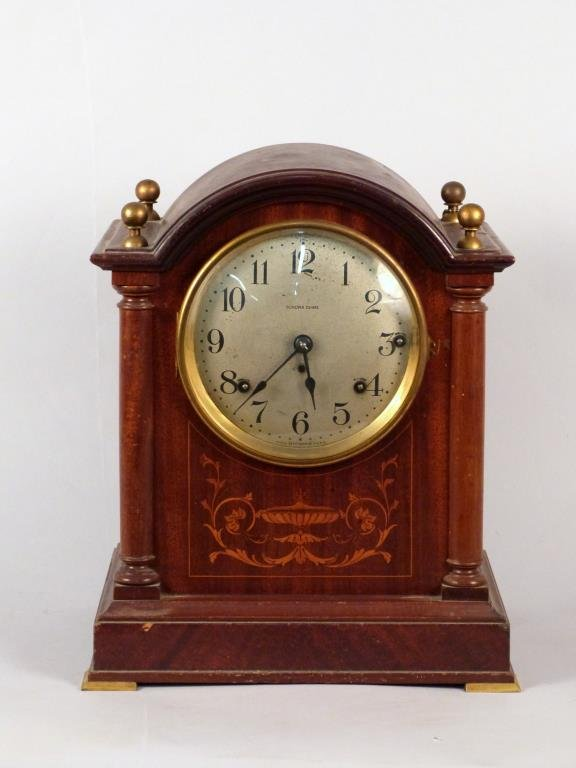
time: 5:38
